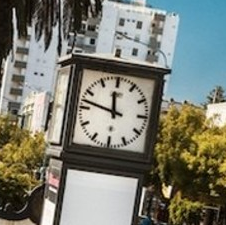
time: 11:47
